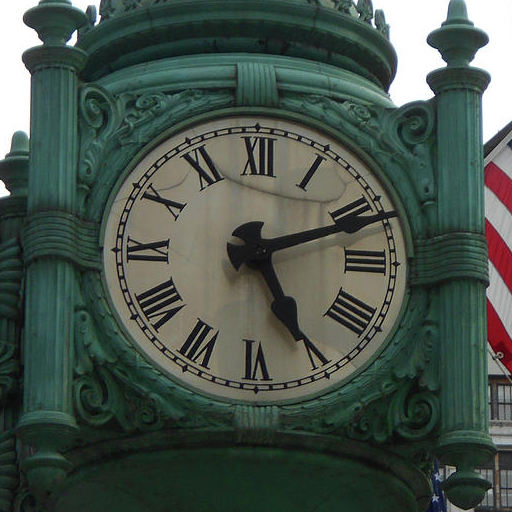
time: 5:11
